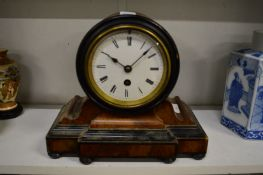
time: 10:07
